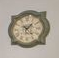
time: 1:23
